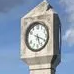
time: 5:18
